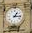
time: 1:16
